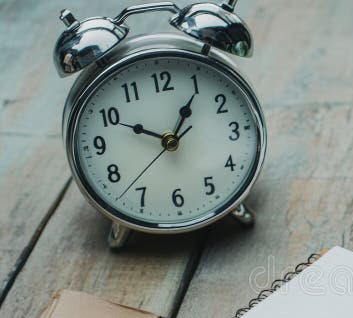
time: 10:05
